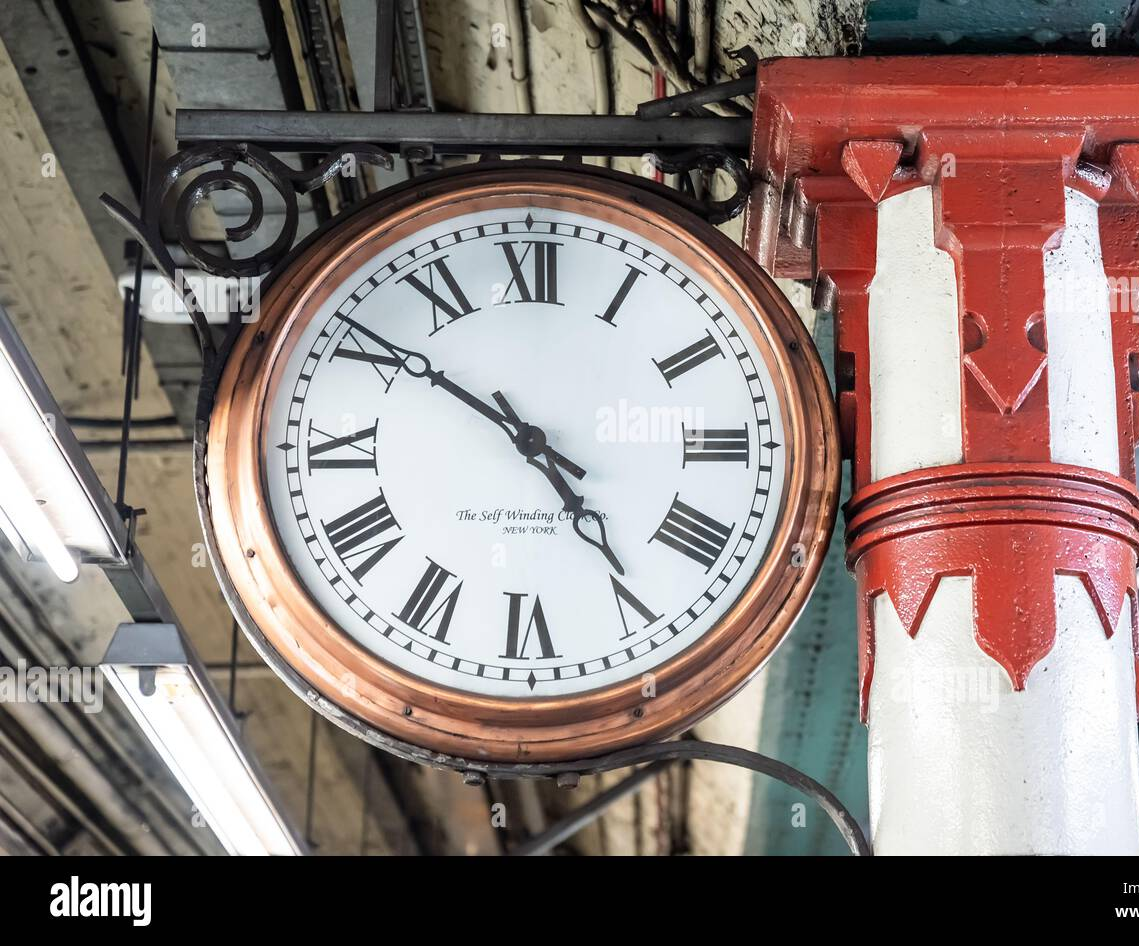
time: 4:50
